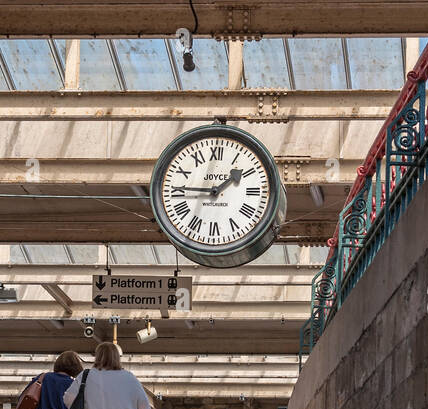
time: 1:45
